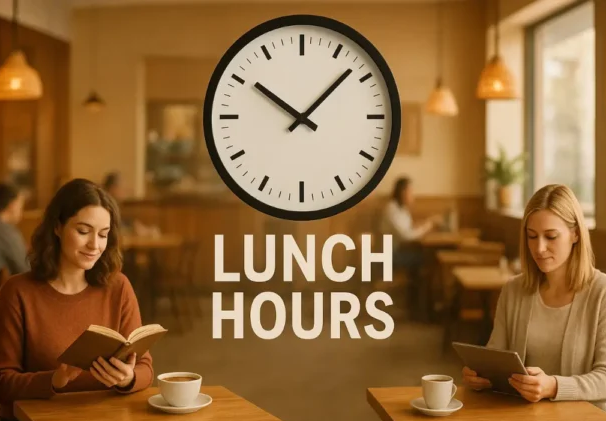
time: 10:07
